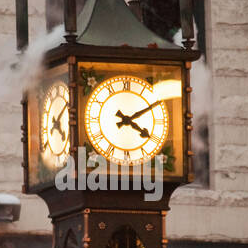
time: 4:09
